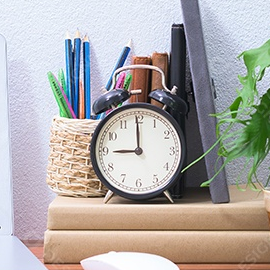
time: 8:59
